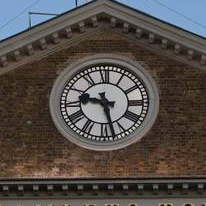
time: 9:27
